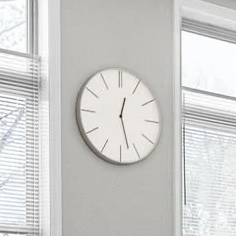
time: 12:27
